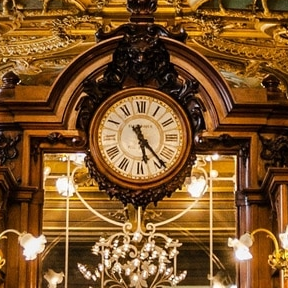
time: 5:23
